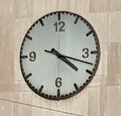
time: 4:17
